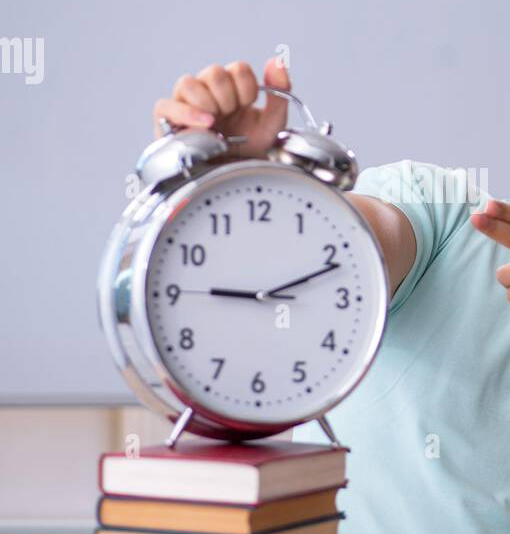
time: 9:11
